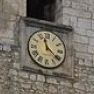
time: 11:21
